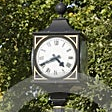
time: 4:40
